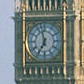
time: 6:57
